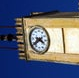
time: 3:39
